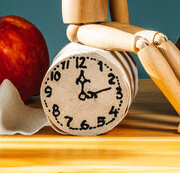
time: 12:12
